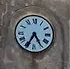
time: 4:34
